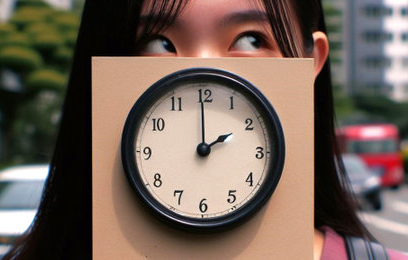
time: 1:59
